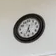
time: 5:33
